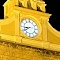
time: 8:39
